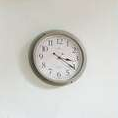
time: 3:20
